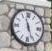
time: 11:26
